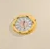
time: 12:28
